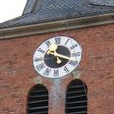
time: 10:18
